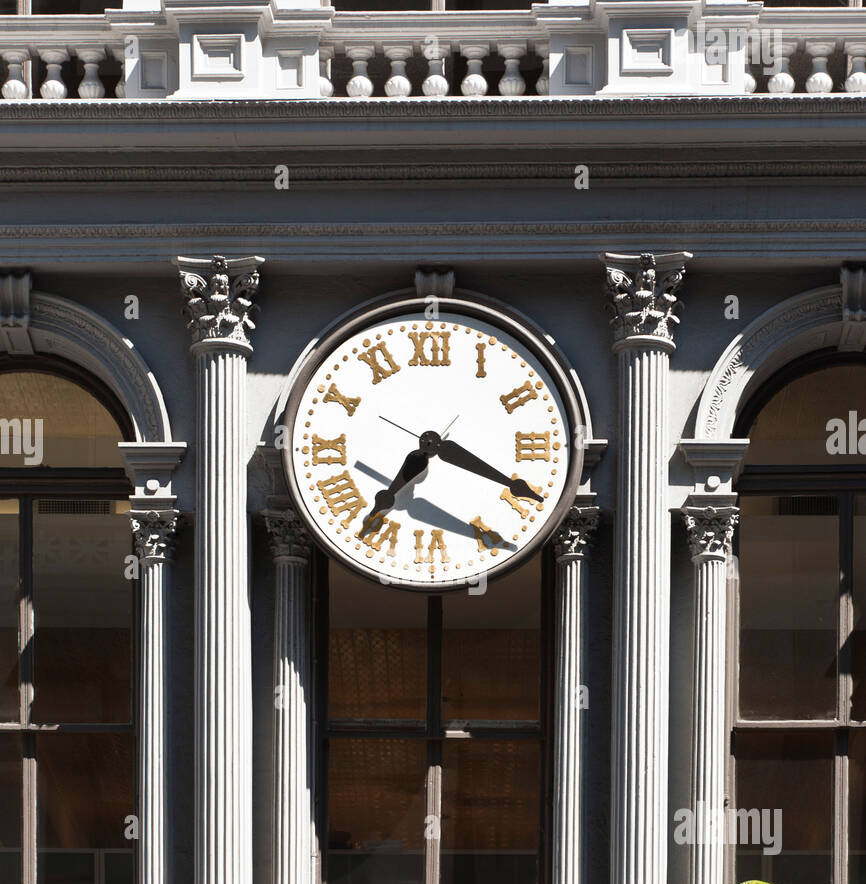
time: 7:19
